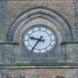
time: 9:36
